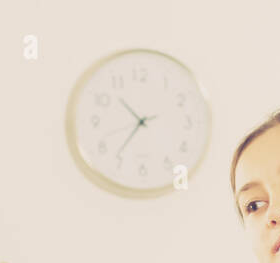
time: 10:36
